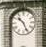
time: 10:26
